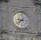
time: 8:38
